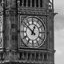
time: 12:51
